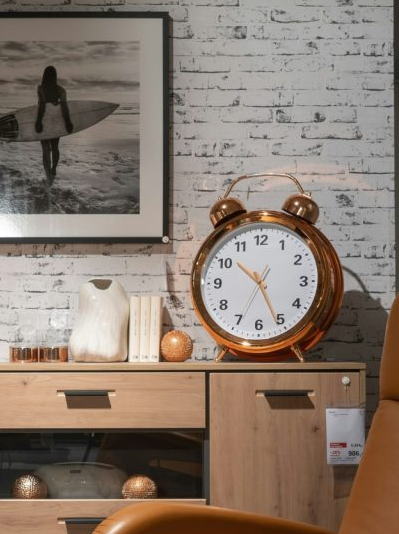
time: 10:25
